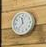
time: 11:36
